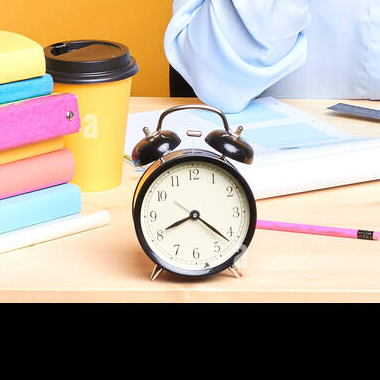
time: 8:21
